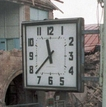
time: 11:37
